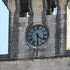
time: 4:29
